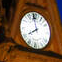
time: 7:58
